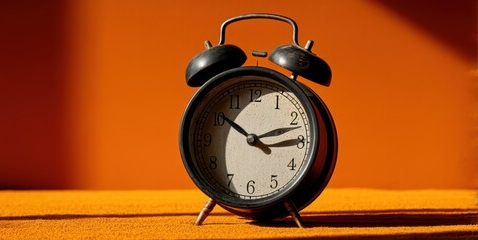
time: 2:51
